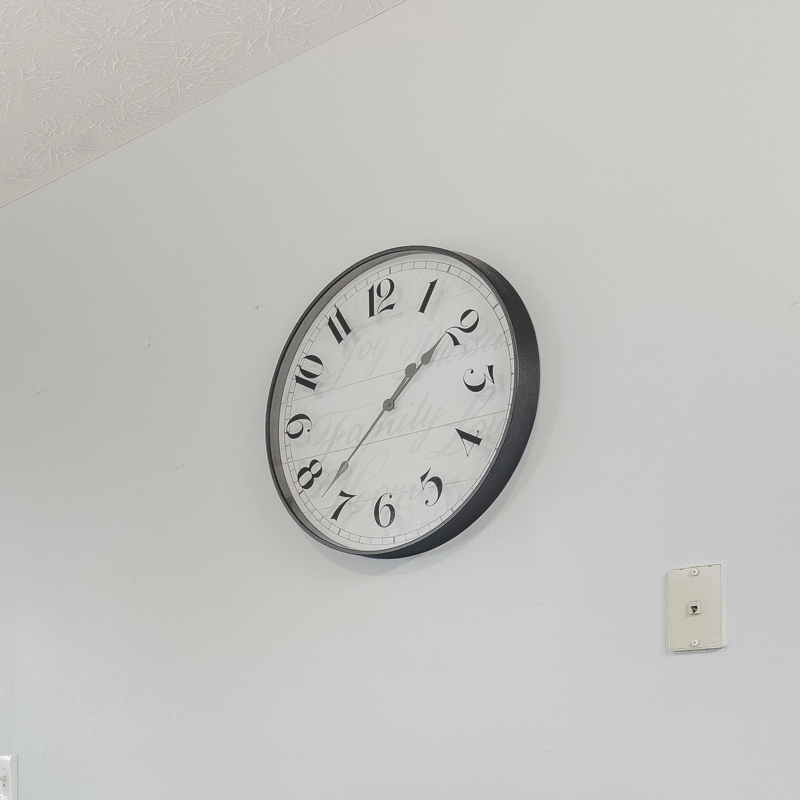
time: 1:37
